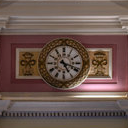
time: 5:18
